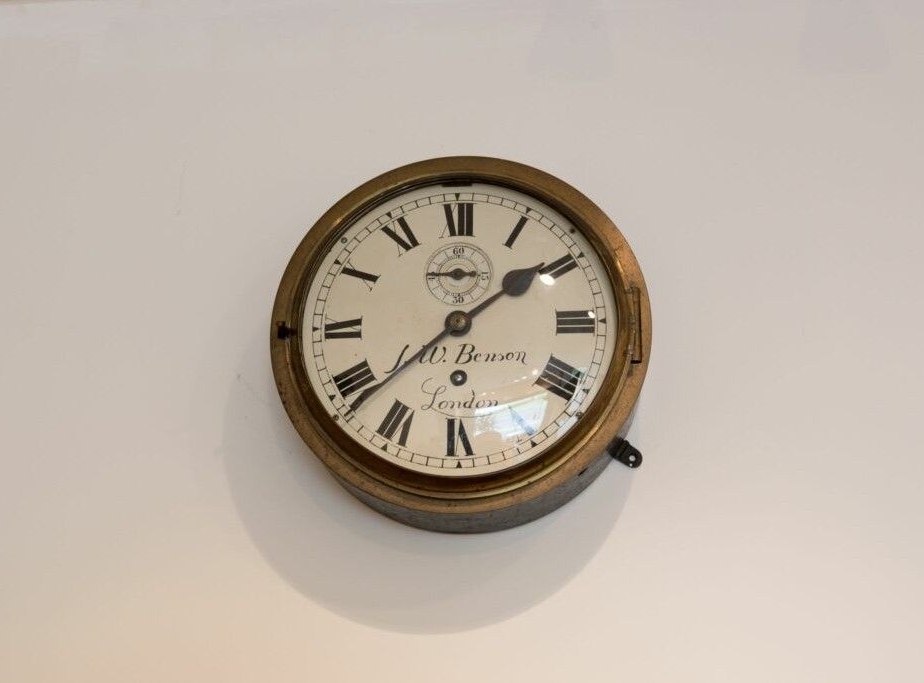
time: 1:38
